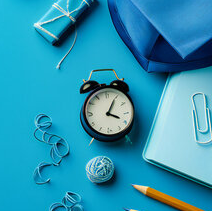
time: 4:04
